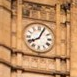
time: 8:04
